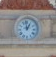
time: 12:58
